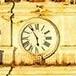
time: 5:54
